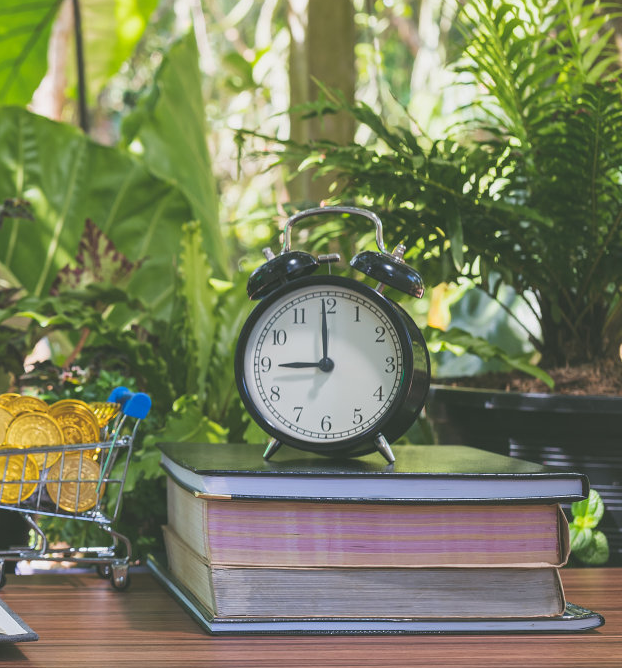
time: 8:59
